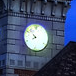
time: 7:52
